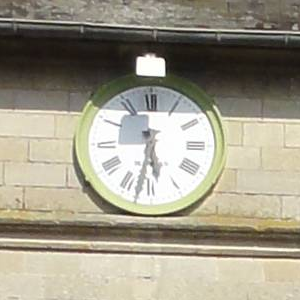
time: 5:32
